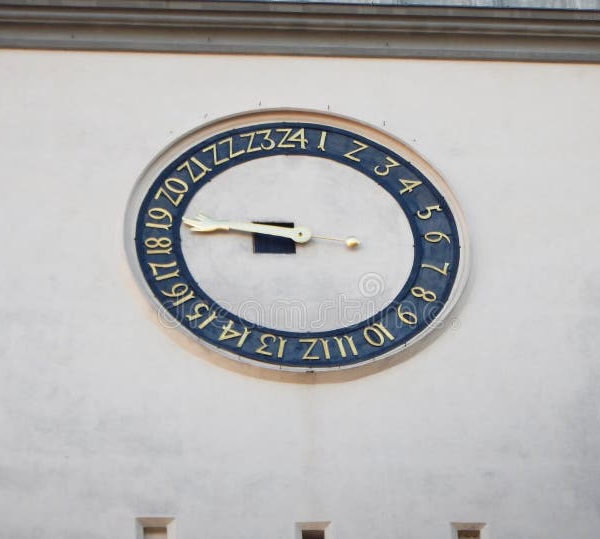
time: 8:45
